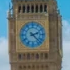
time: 2:22
